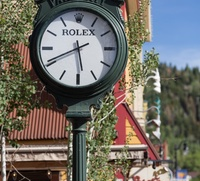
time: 5:40
